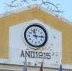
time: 11:15
